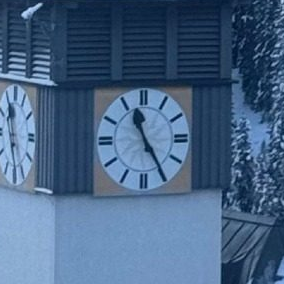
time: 11:24
